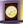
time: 7:12
